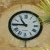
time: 10:45
